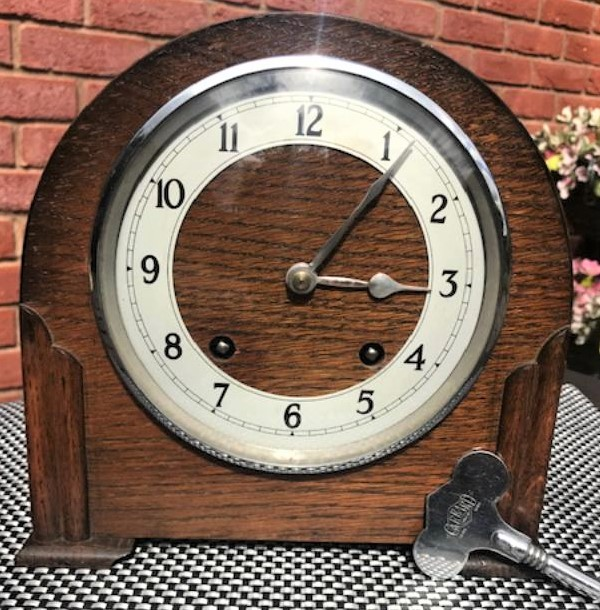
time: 3:06
